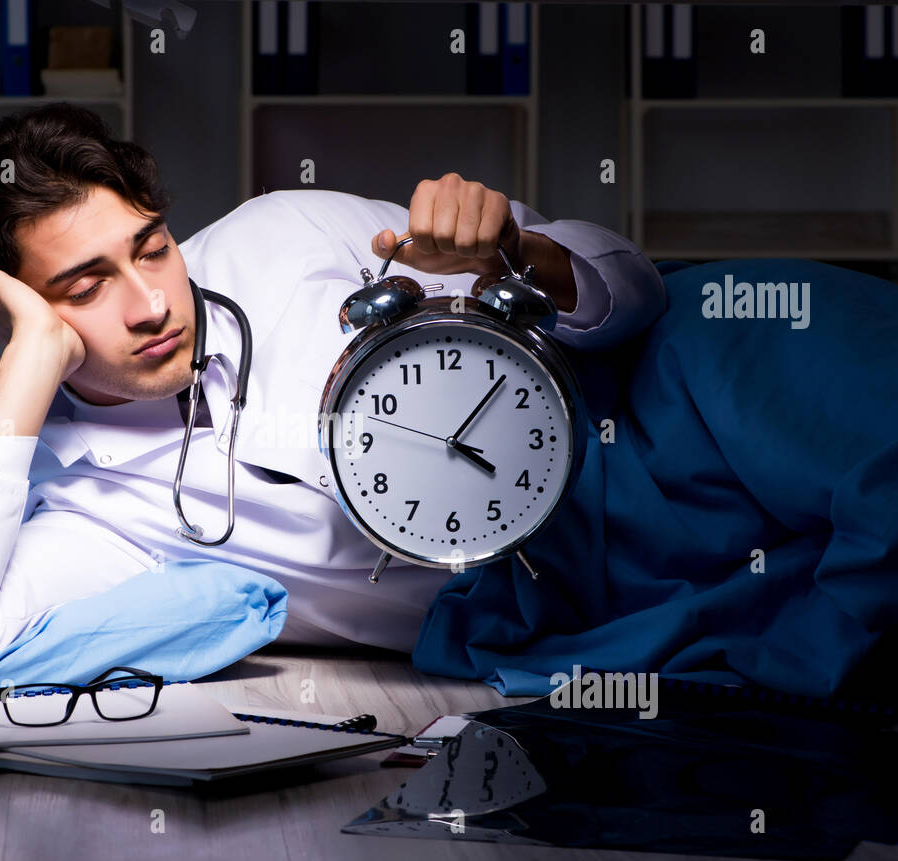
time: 4:06
